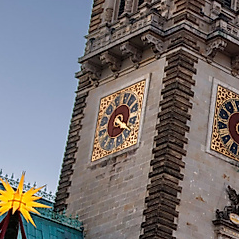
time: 4:20
